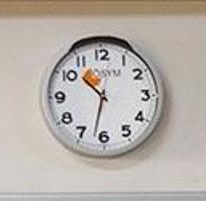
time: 10:32
